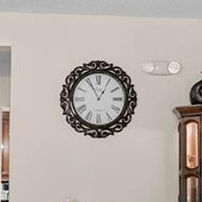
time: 12:55
